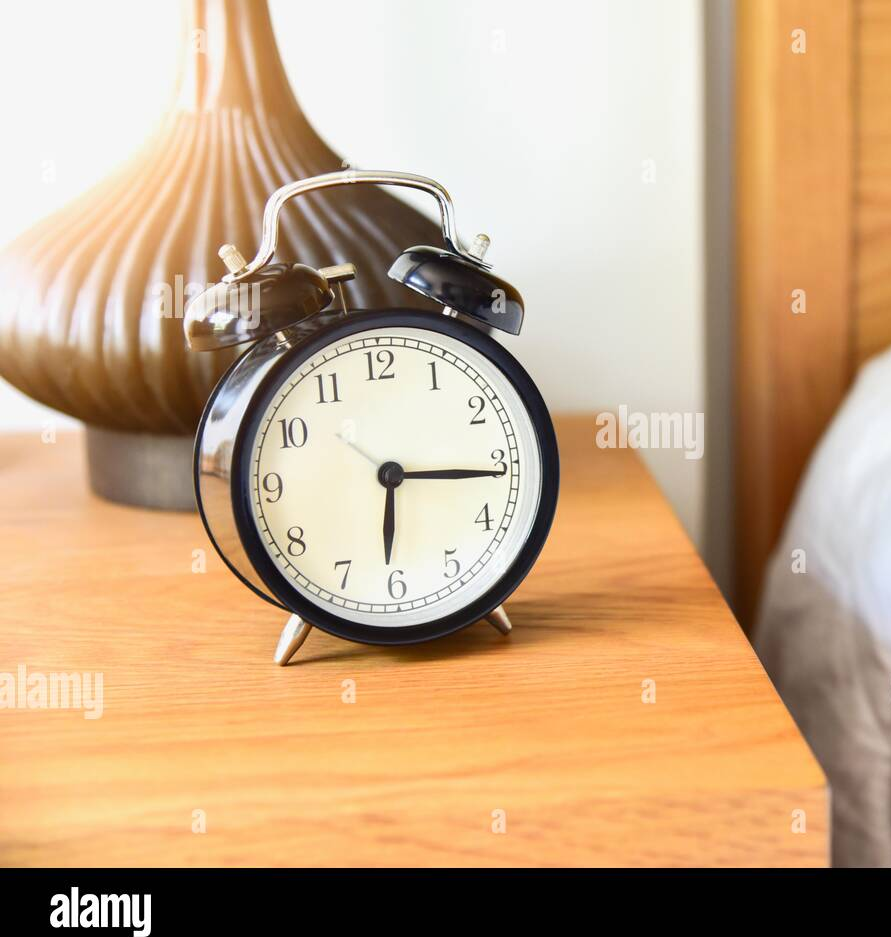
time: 6:15
